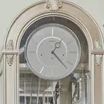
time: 1:23
